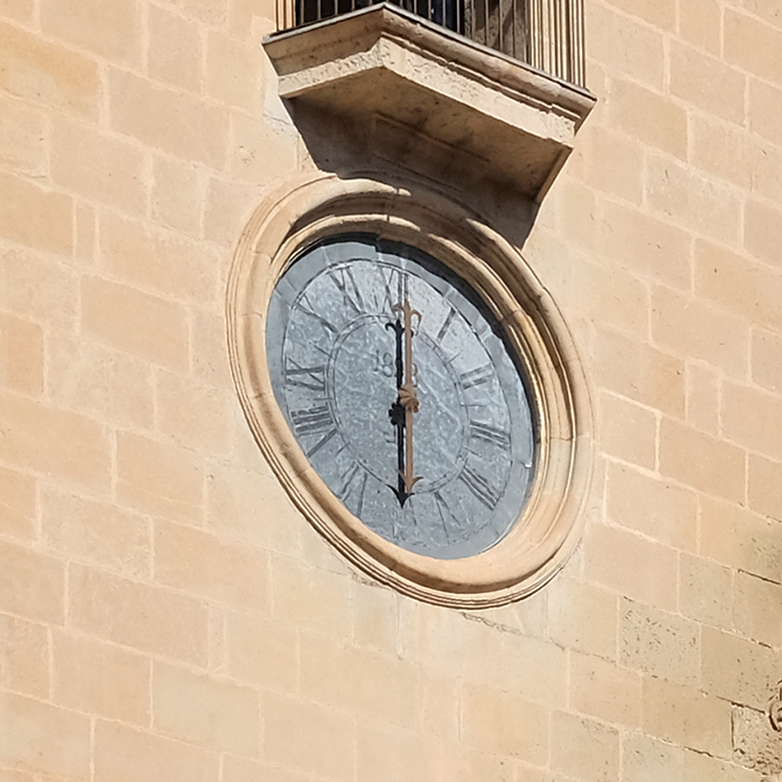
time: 6:00
